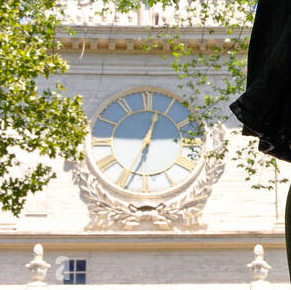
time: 12:33
